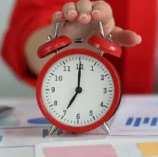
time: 7:00
